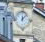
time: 12:07
